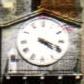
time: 4:18
